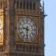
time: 9:31
